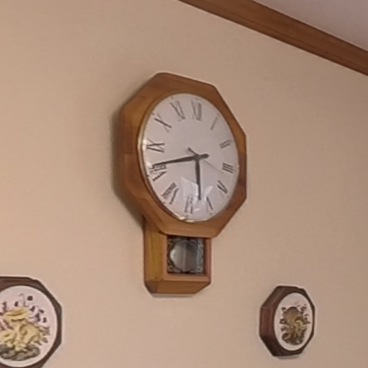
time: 5:41
